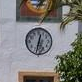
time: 12:32
